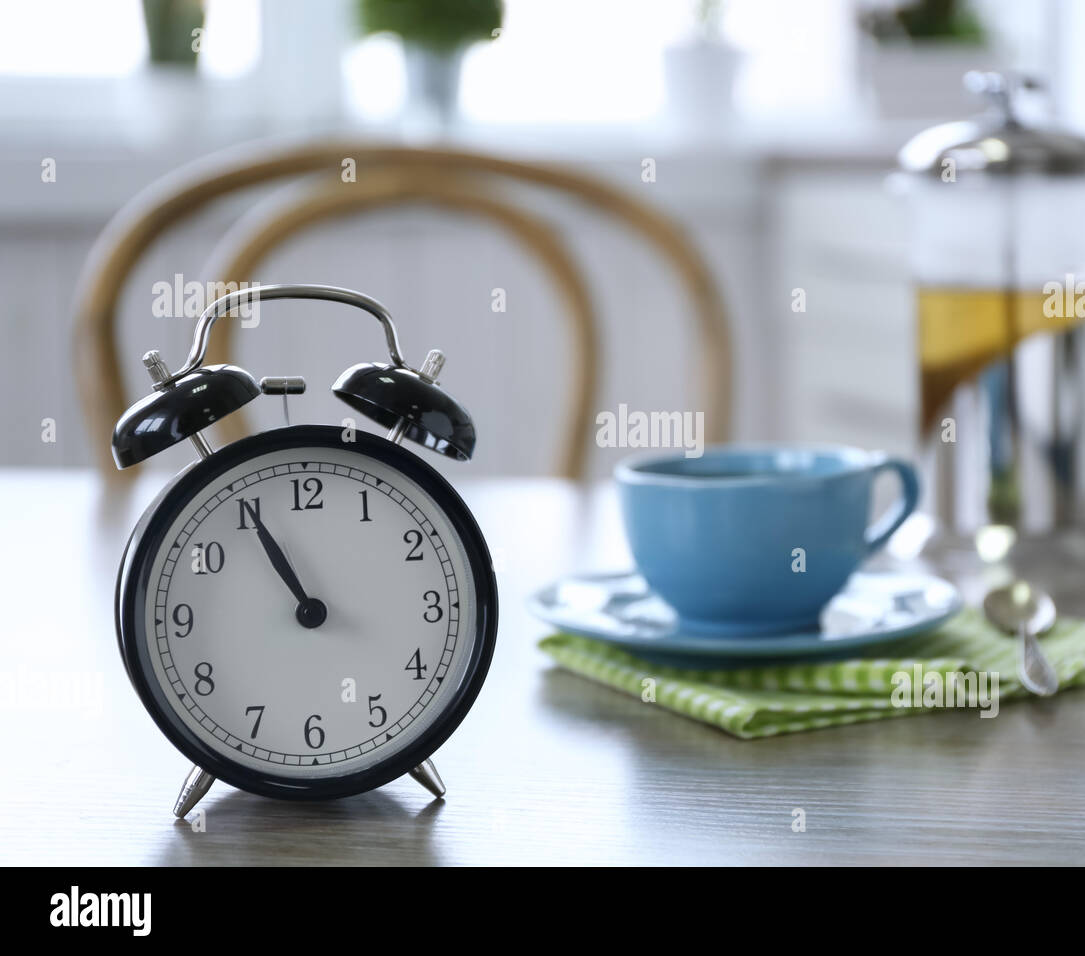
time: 10:55
